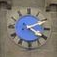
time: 4:10
